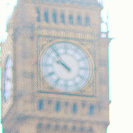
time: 9:53
